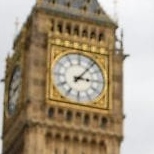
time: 3:06
